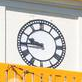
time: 9:45
